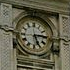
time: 5:14
